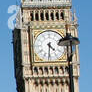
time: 4:31
